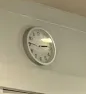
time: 2:46
